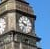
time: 9:36
